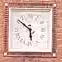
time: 5:51
